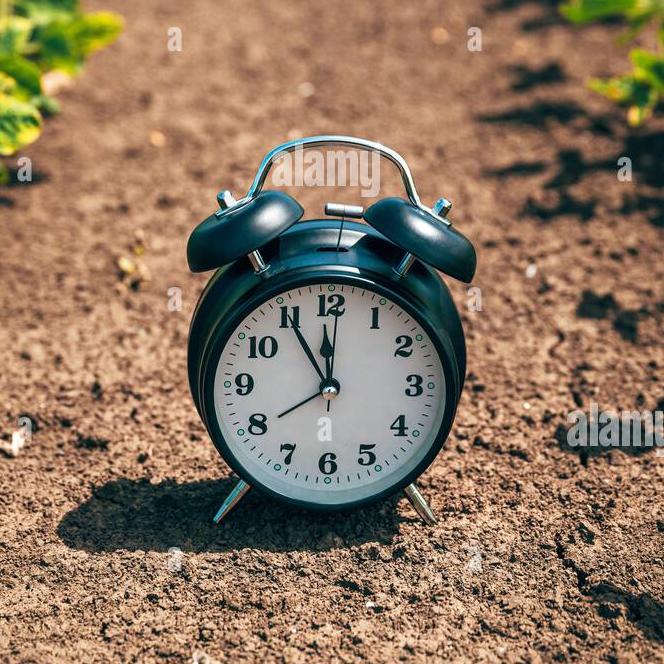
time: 11:54
